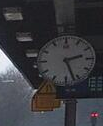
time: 2:26
